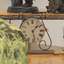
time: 1:28
